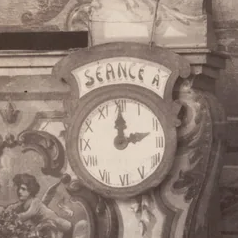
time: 12:12
